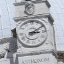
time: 3:09
